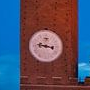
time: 9:17
